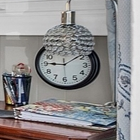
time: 9:09
